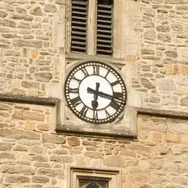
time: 6:17
